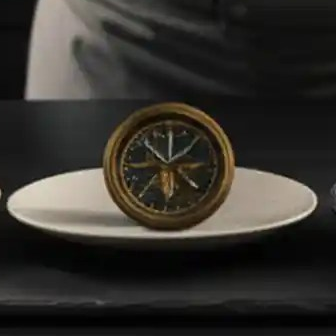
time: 10:07
